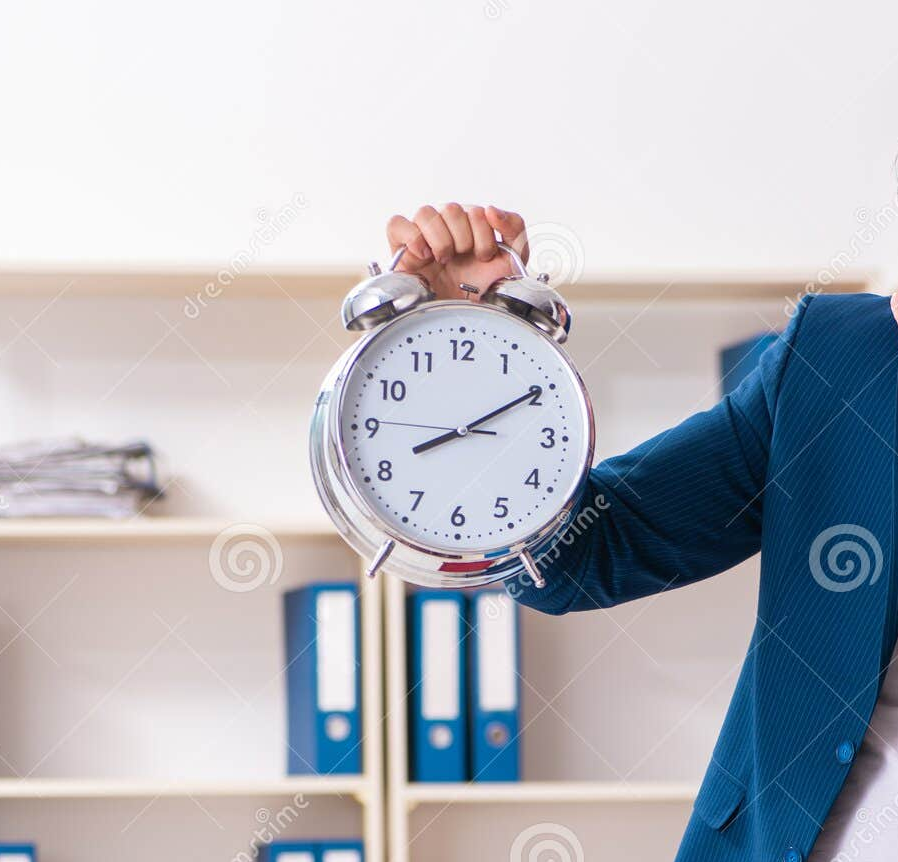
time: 8:09
